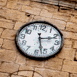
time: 2:27
